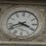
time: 3:41
